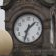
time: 1:32
